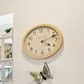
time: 4:11
